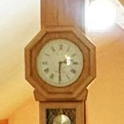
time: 2:29
